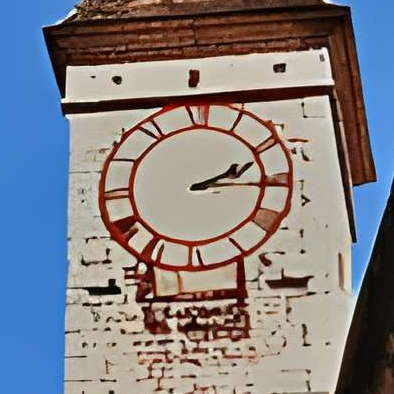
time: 2:15
